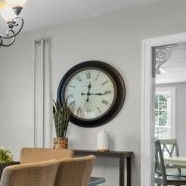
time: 12:15
